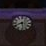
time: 5:41
